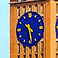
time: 10:28
